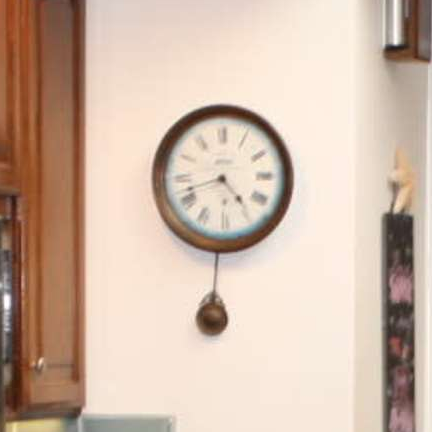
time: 4:42
